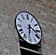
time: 3:31
